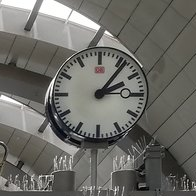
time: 2:06
